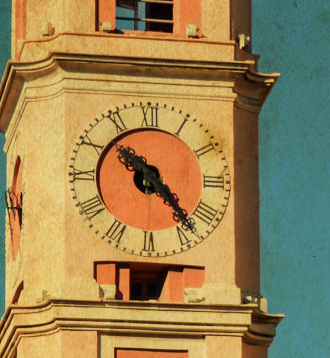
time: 10:23
